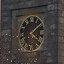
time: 4:08
